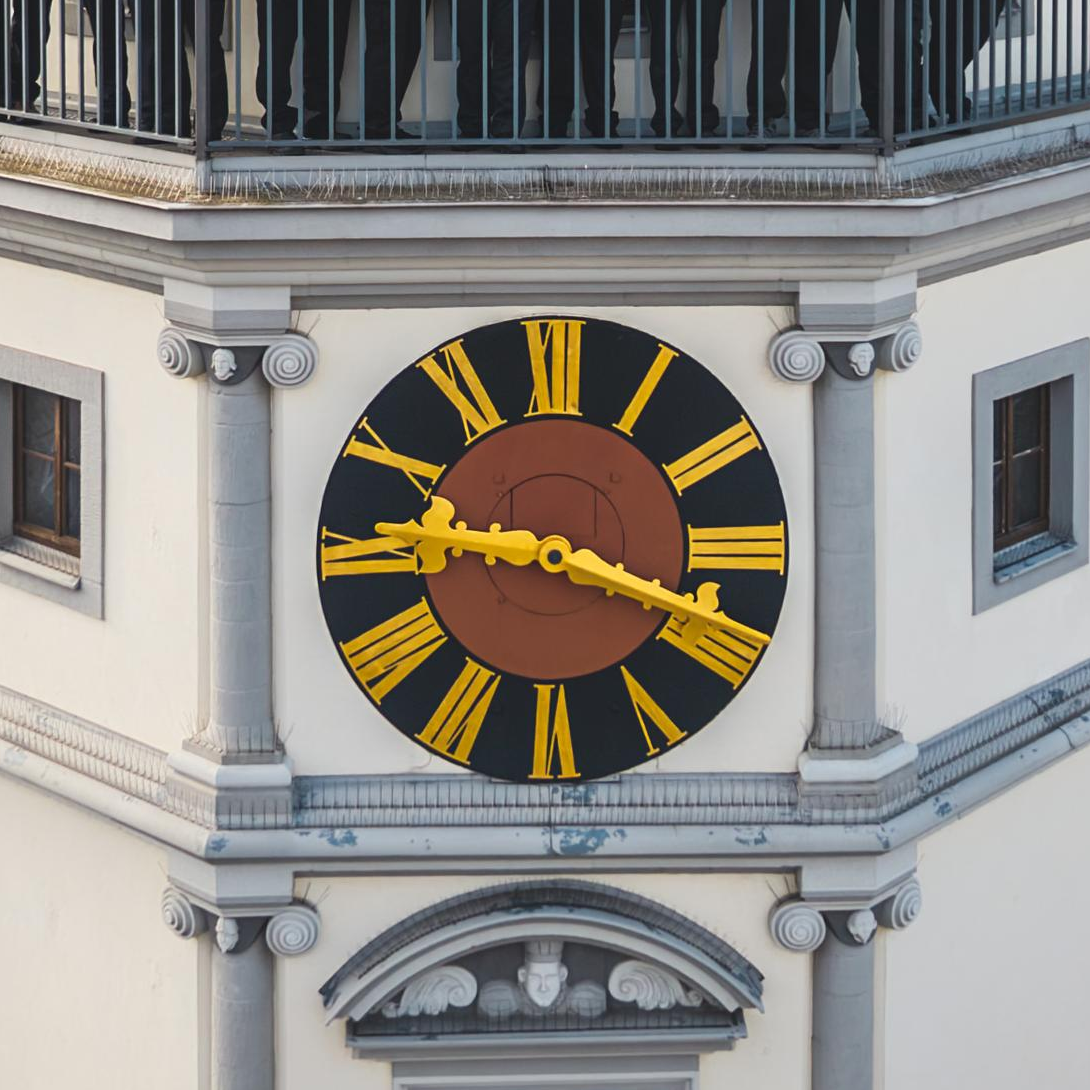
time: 9:18
